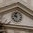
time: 9:57
